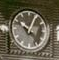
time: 10:04
